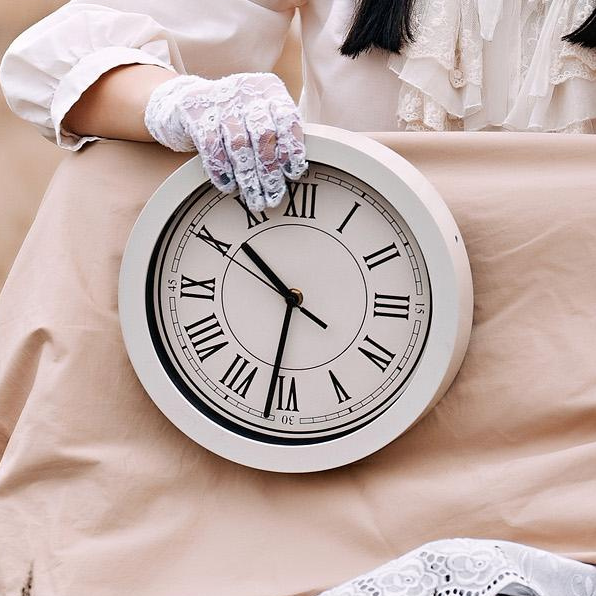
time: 10:31
